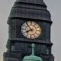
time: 7:53
